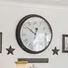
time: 12:51
